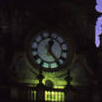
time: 12:23
